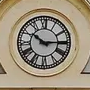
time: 10:14
